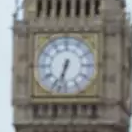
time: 6:32
